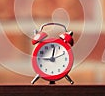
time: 9:01
